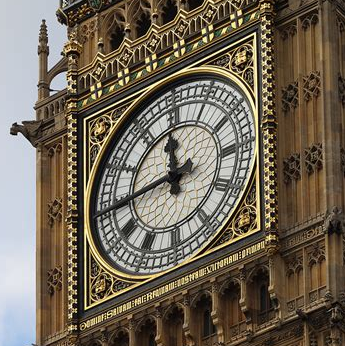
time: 11:44
